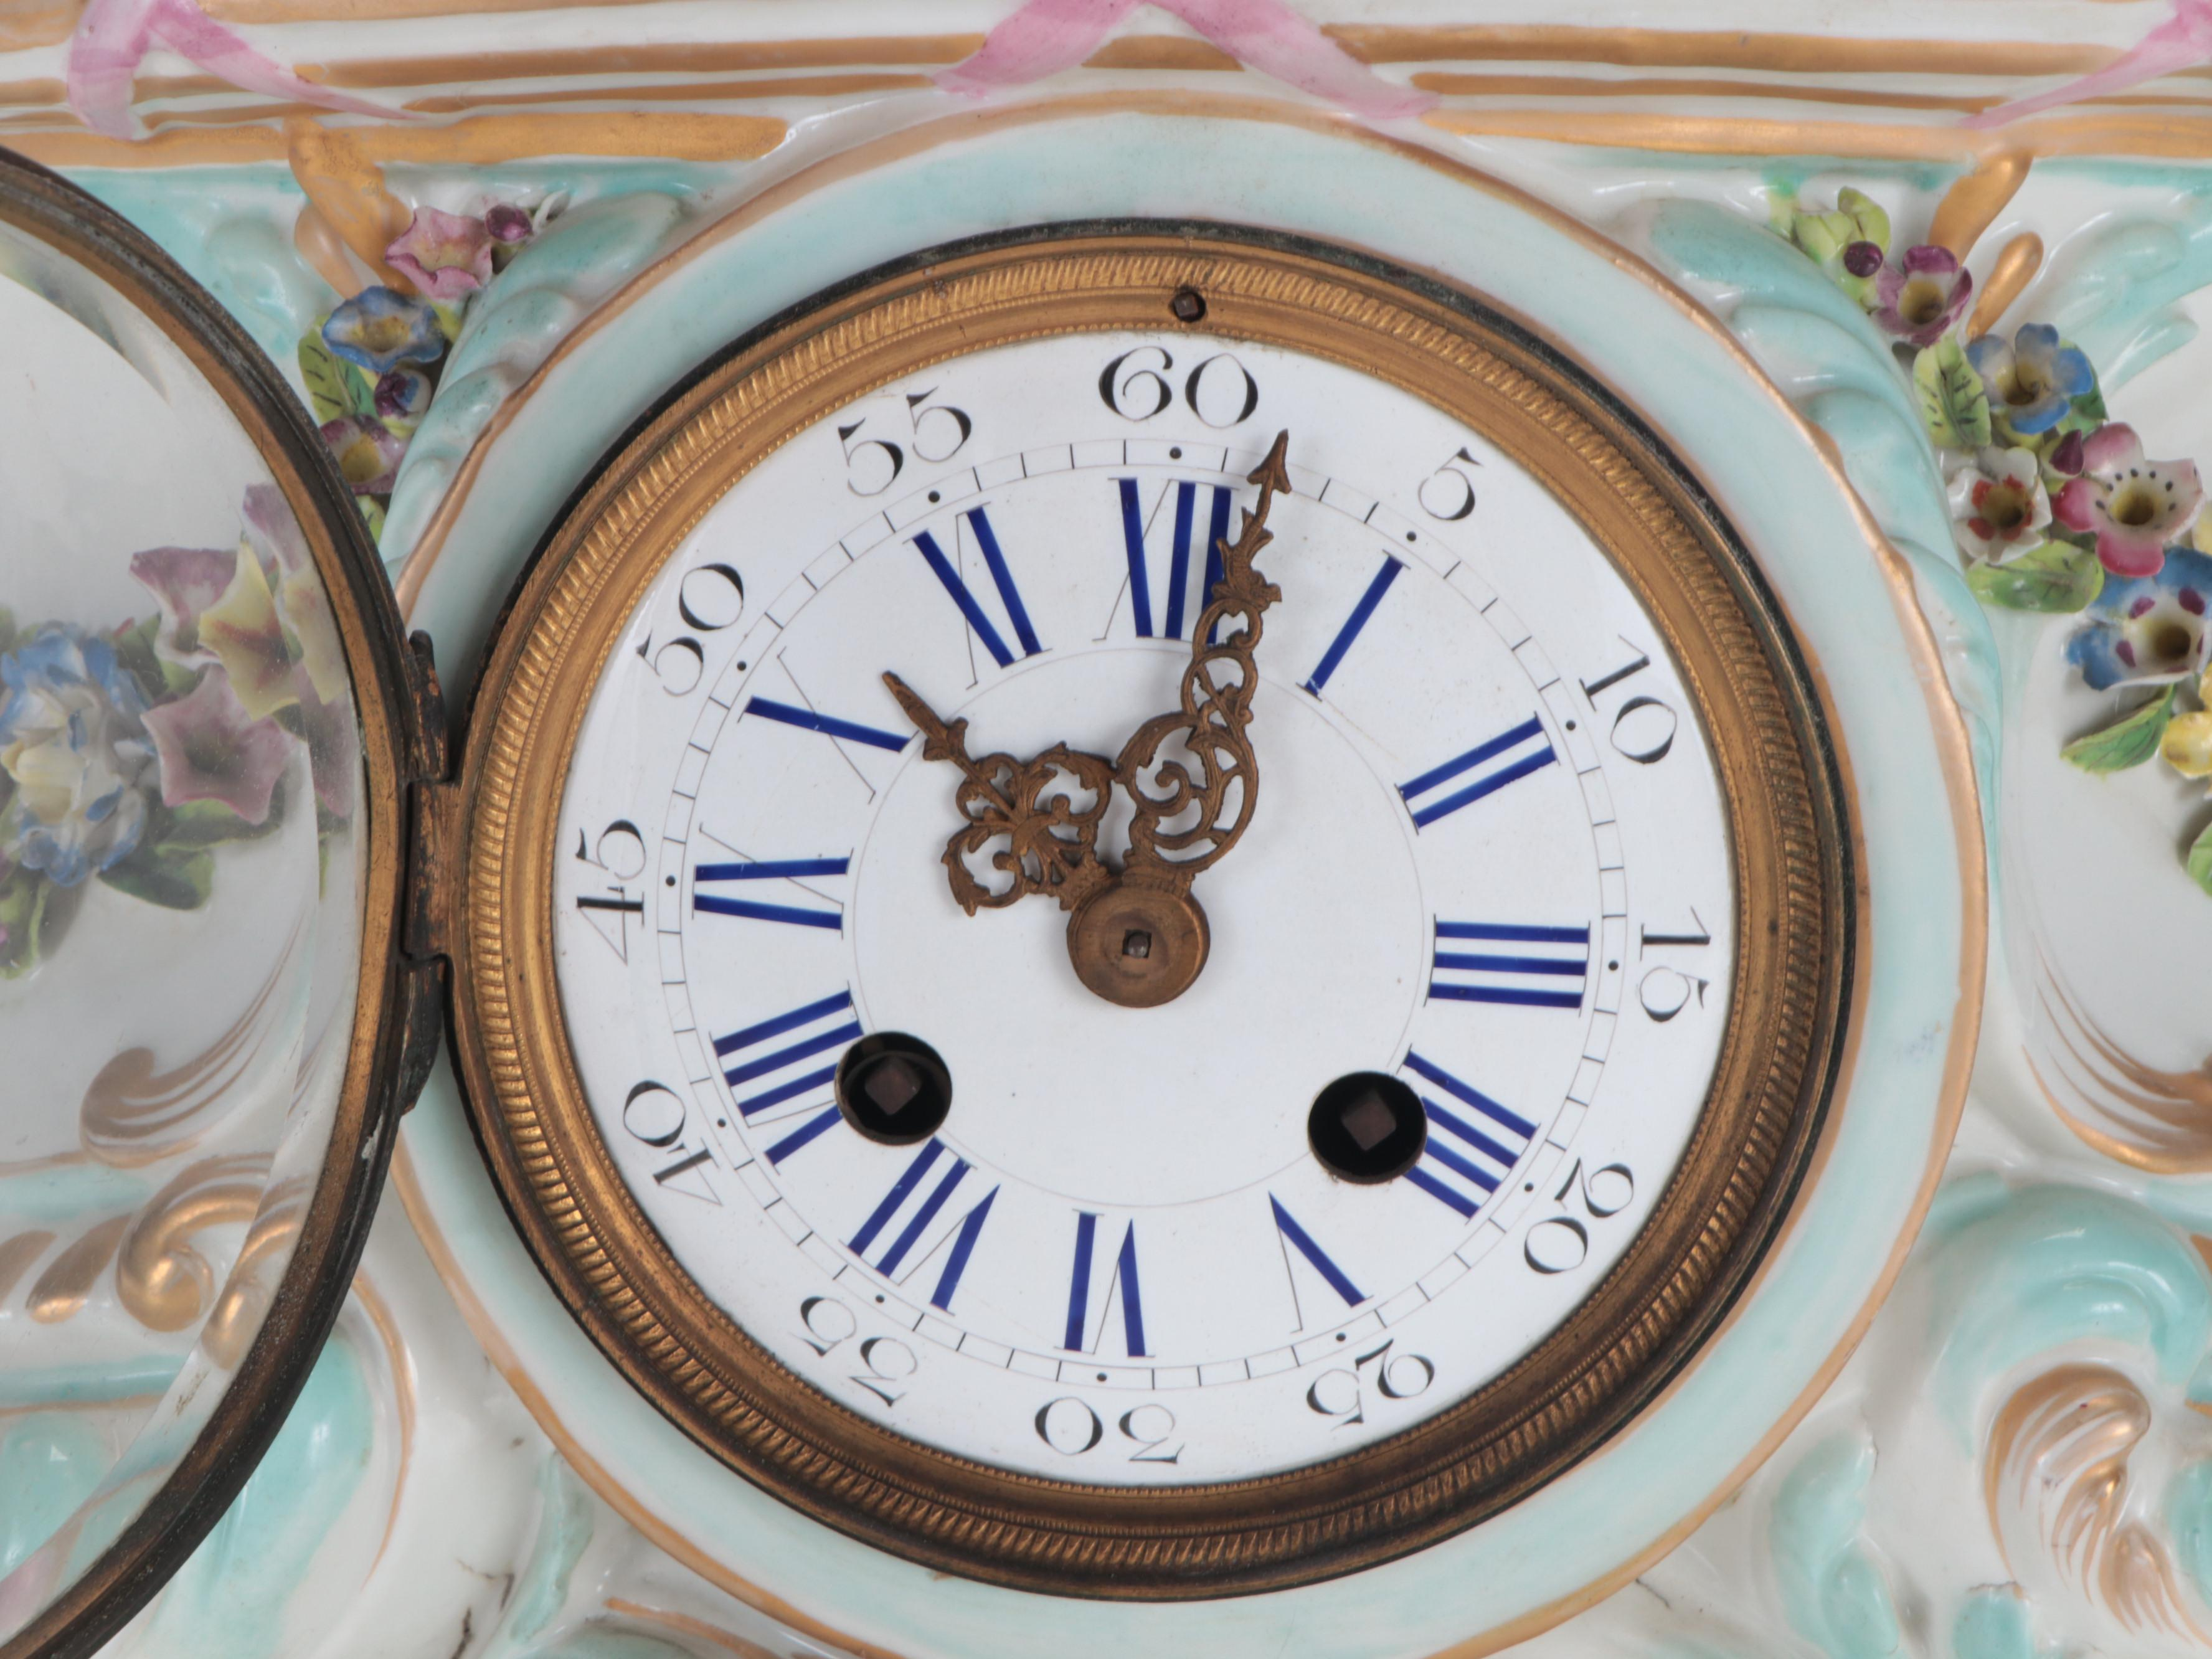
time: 10:01
